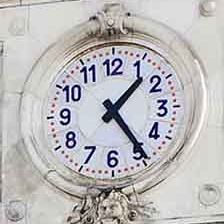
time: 1:24
